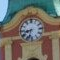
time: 8:33
